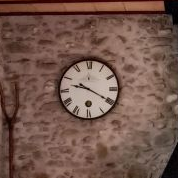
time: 9:20
